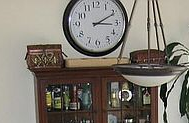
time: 3:10
